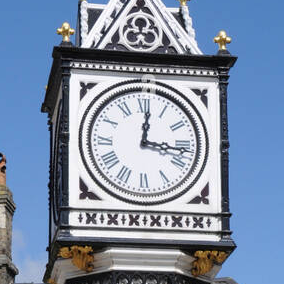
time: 12:16
